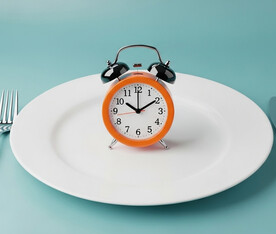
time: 10:09
